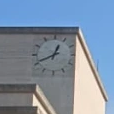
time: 12:40
